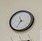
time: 11:35
